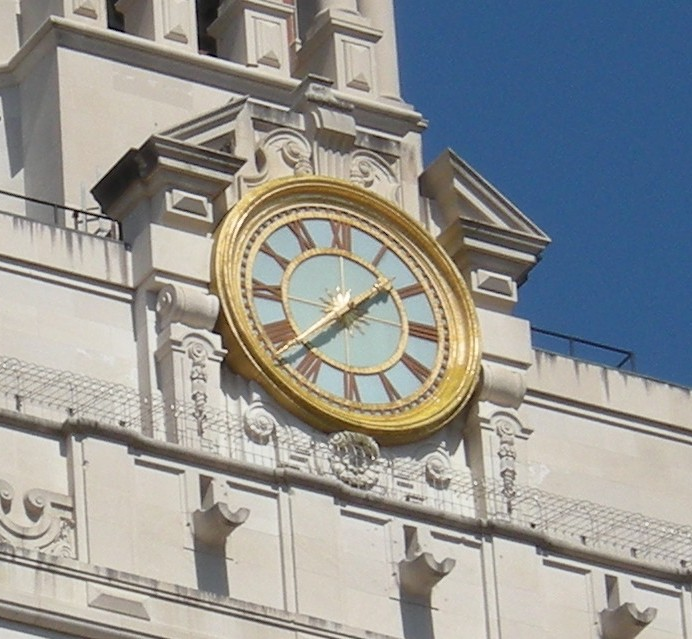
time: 1:37
